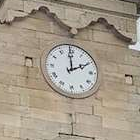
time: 1:59
